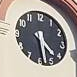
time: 4:28
